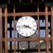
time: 3:44
